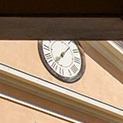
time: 7:06
